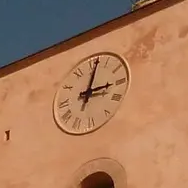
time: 3:02
